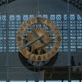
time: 10:39
